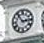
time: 2:54
